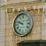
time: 9:47
